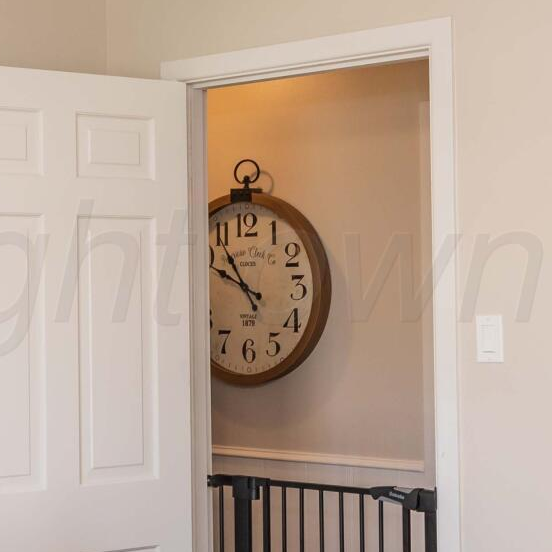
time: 9:53
